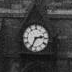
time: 2:34
